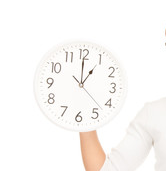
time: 12:59
